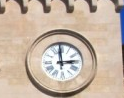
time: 2:59
